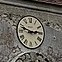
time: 2:48
